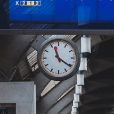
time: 11:20
